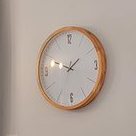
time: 1:47
